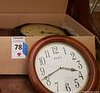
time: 3:41
